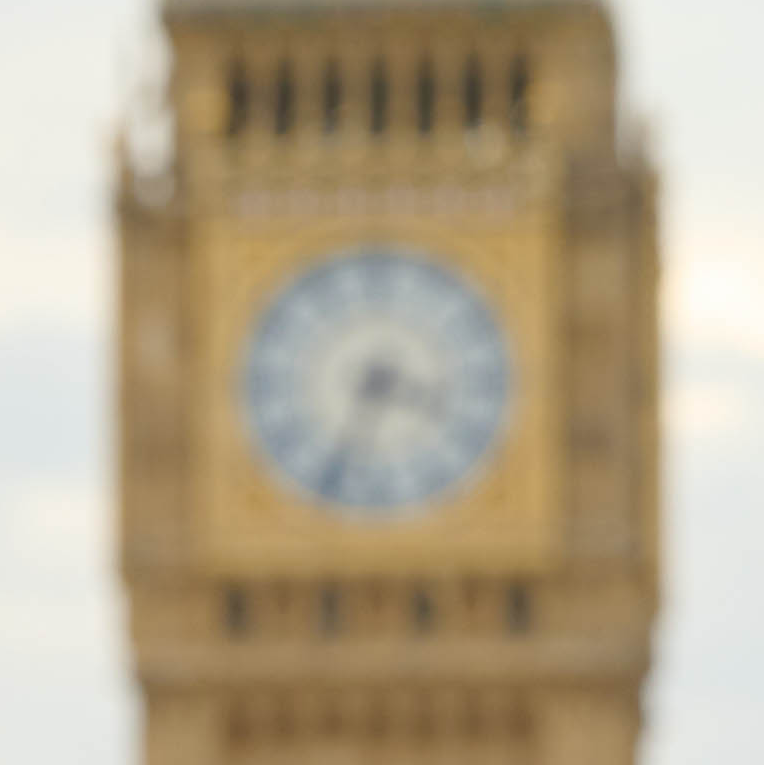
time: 3:33
